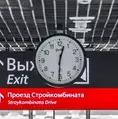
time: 12:30
